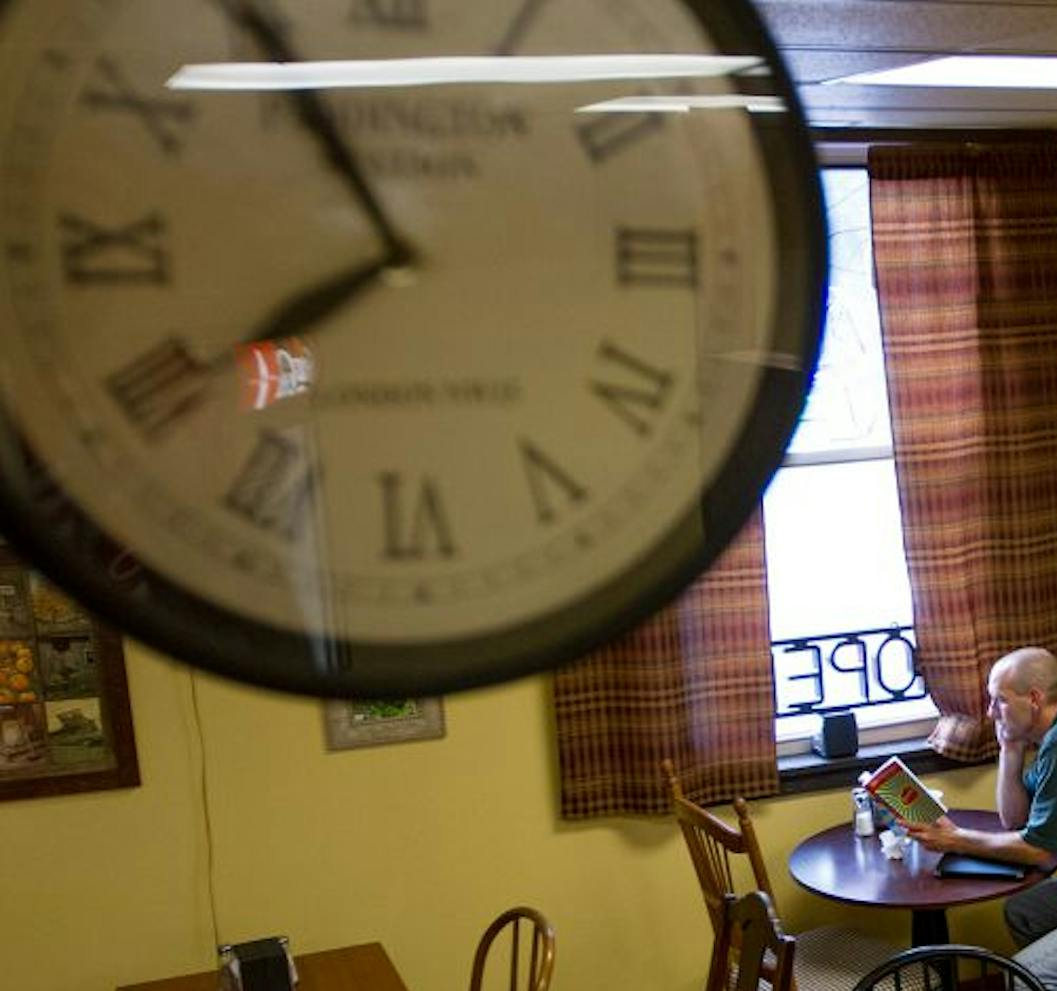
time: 7:54
